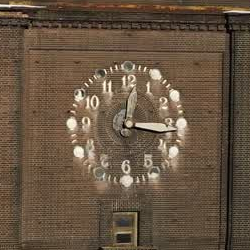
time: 12:16
